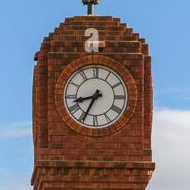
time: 8:34
